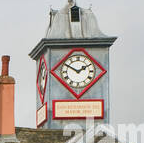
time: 1:50
